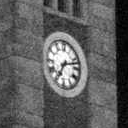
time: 7:12
